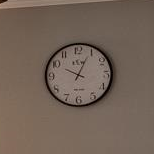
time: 10:04
